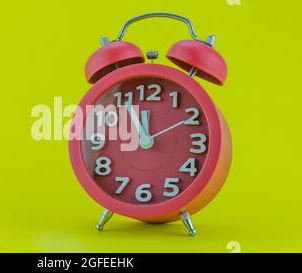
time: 11:55
